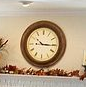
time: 10:15
